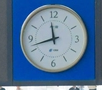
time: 11:42
